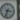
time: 3:33
